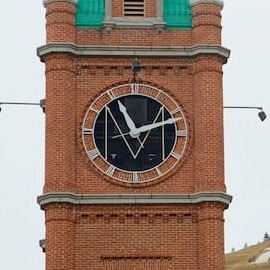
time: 11:12
